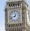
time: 12:41
